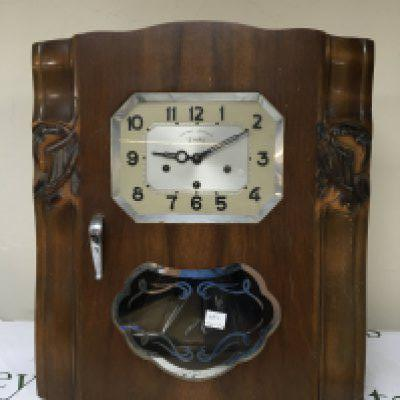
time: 9:10
